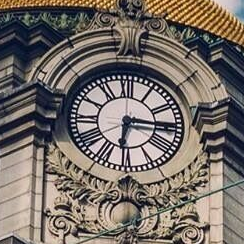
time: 6:15
